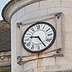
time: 9:24
